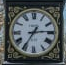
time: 2:35
